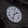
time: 1:32
